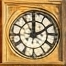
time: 1:59
